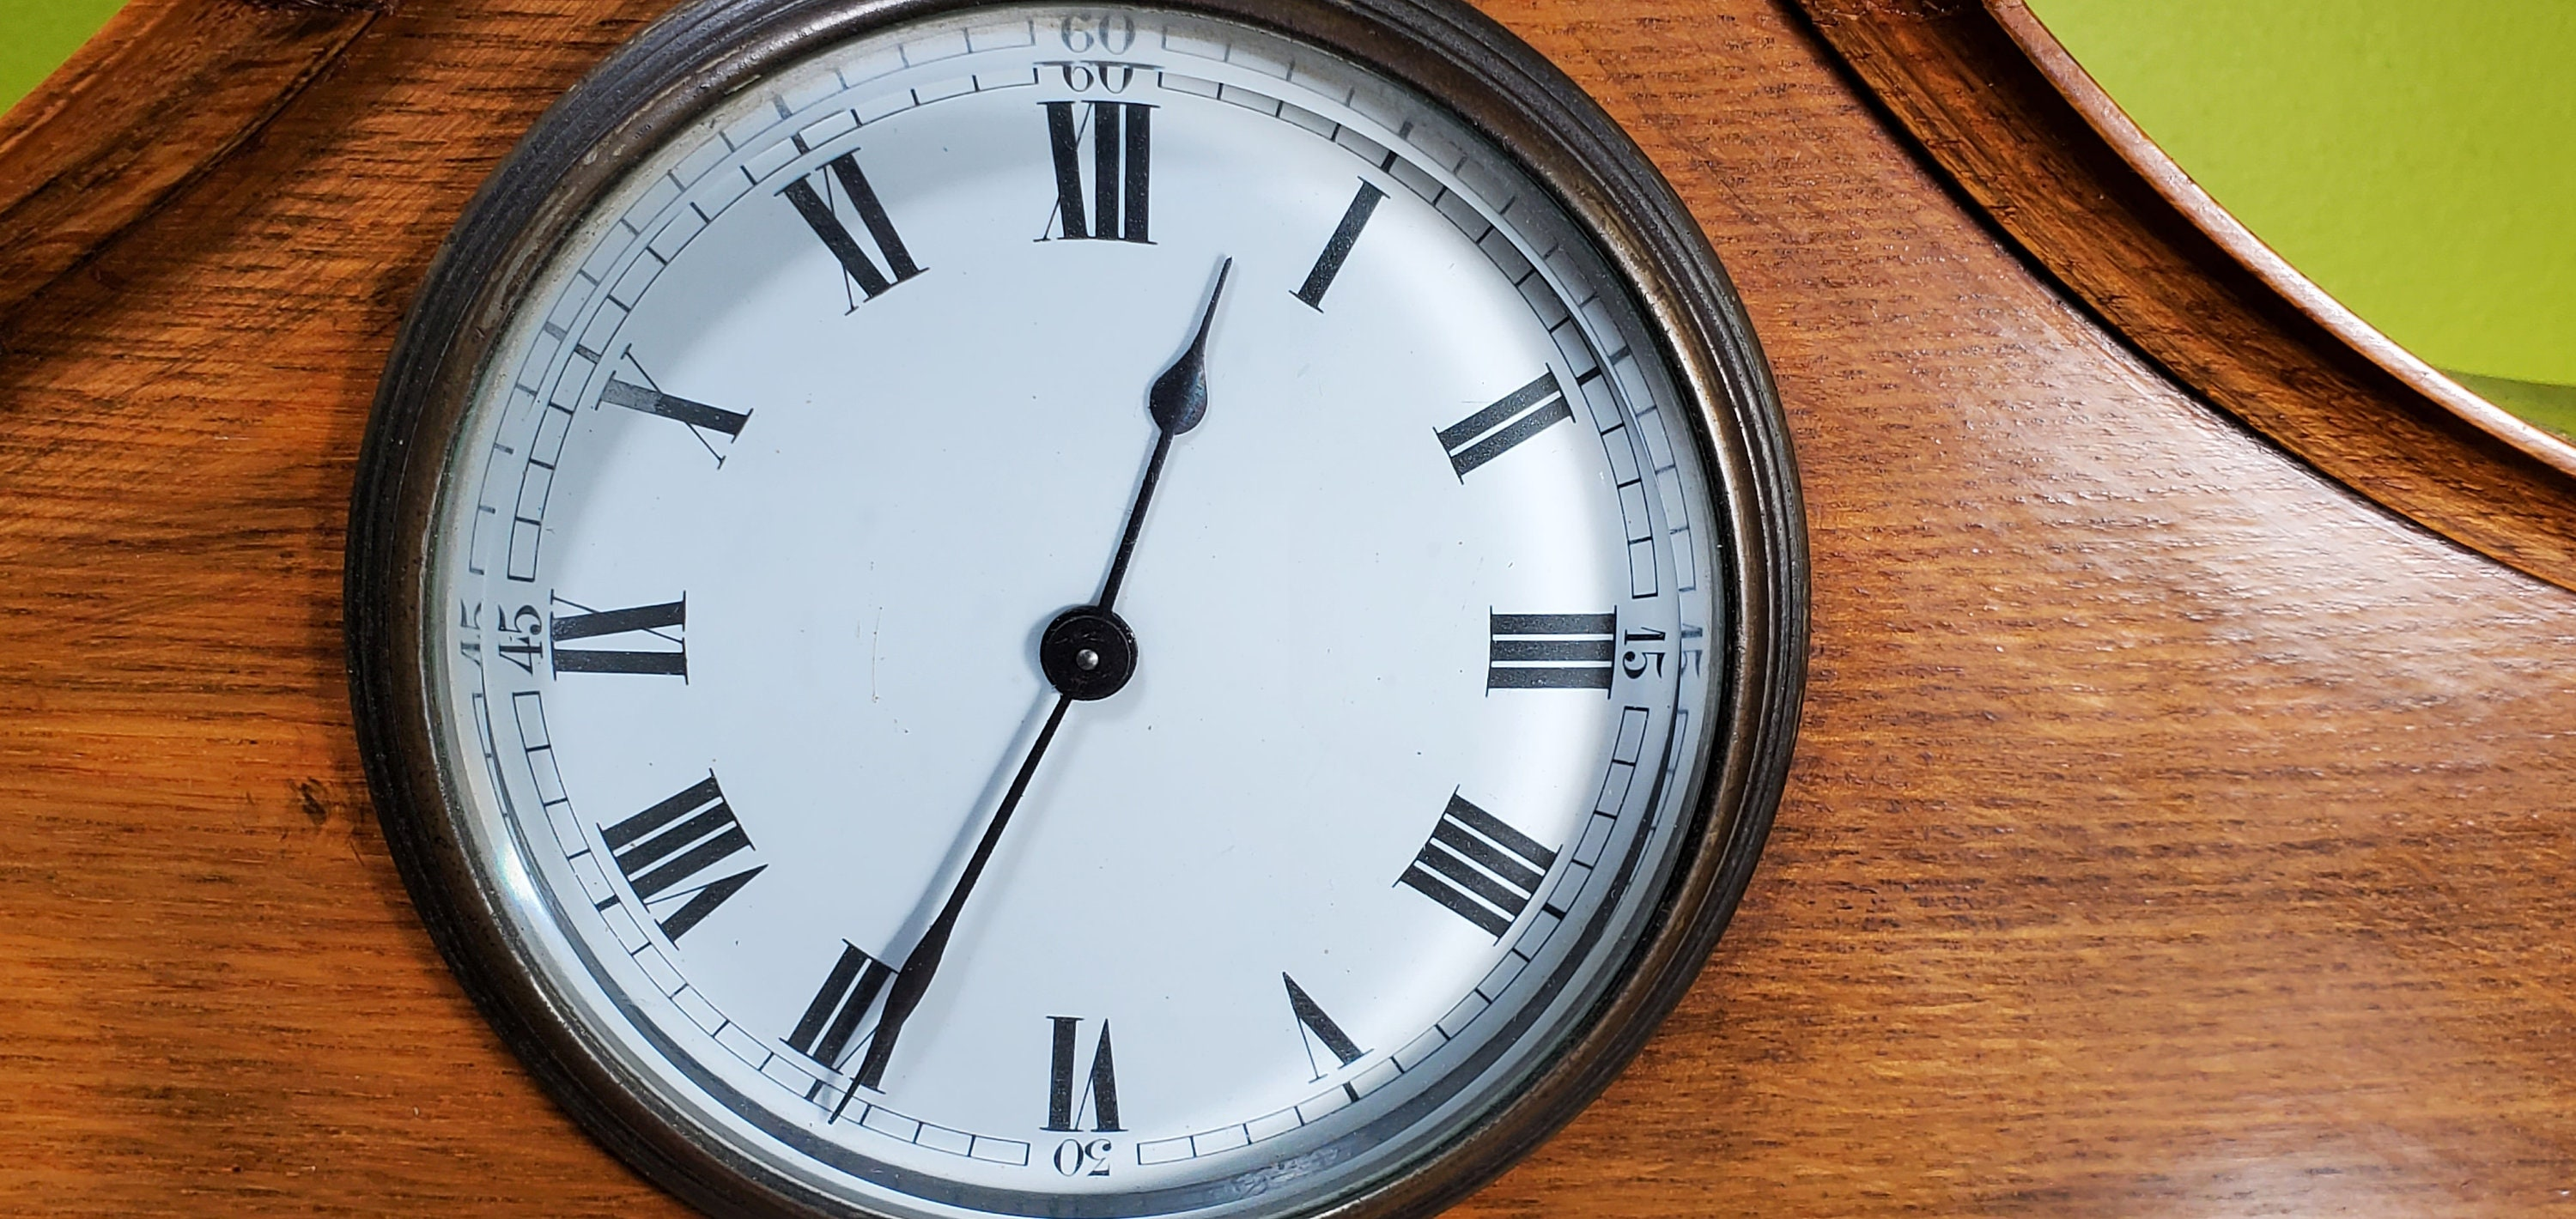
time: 12:34
